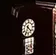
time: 4:35
